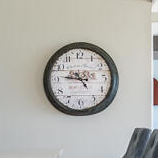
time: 4:46
